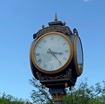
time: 3:23
